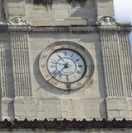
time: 9:37
